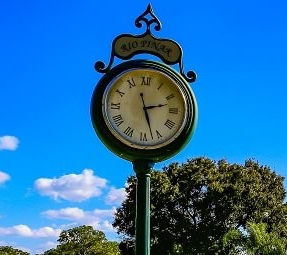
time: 2:27
